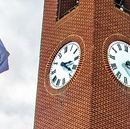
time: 3:22
